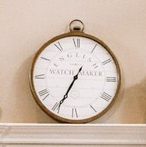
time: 6:34
